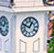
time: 12:49
